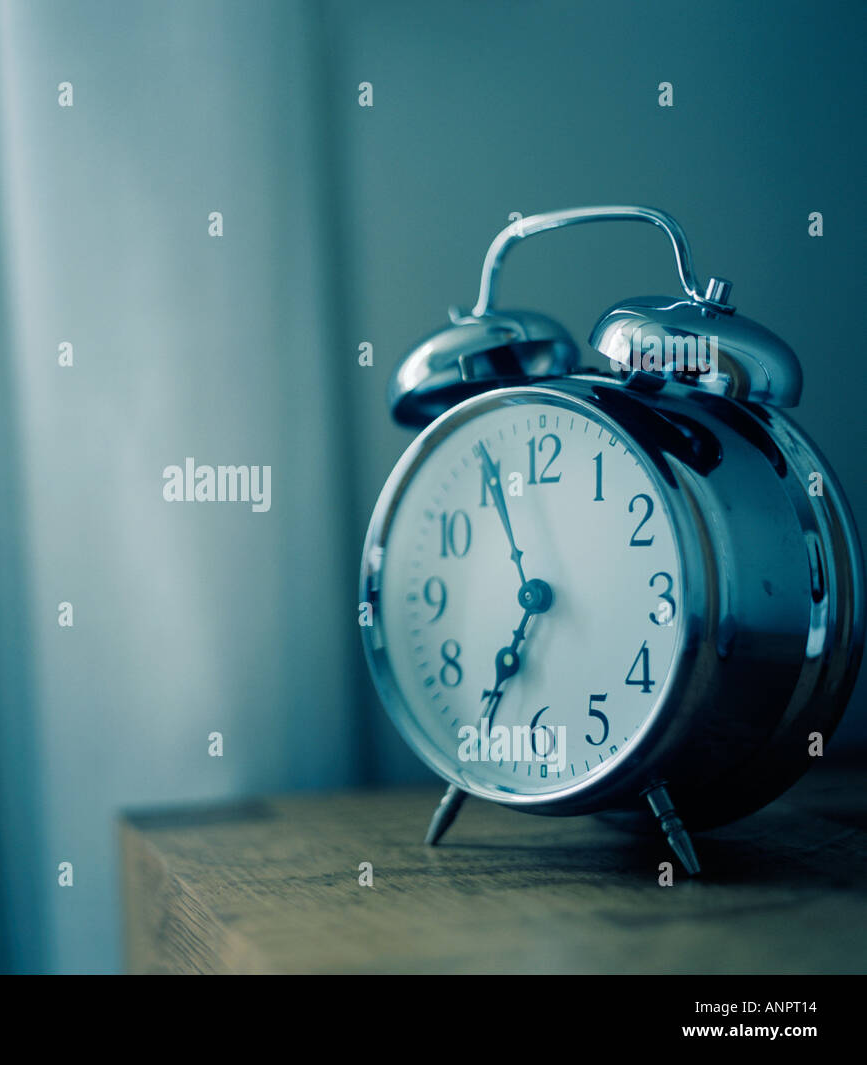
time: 6:56
